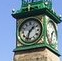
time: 1:33
